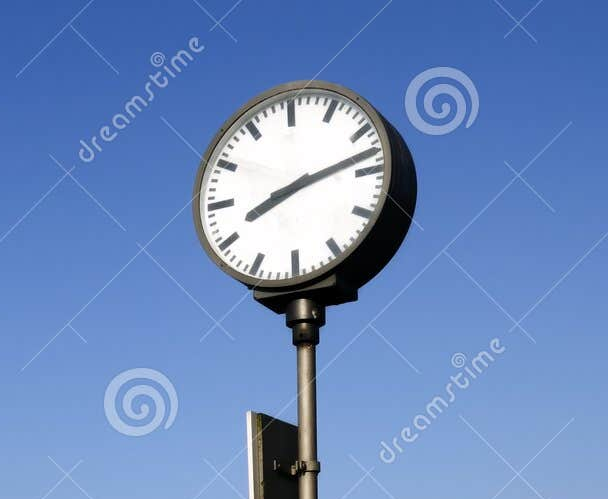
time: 8:12
